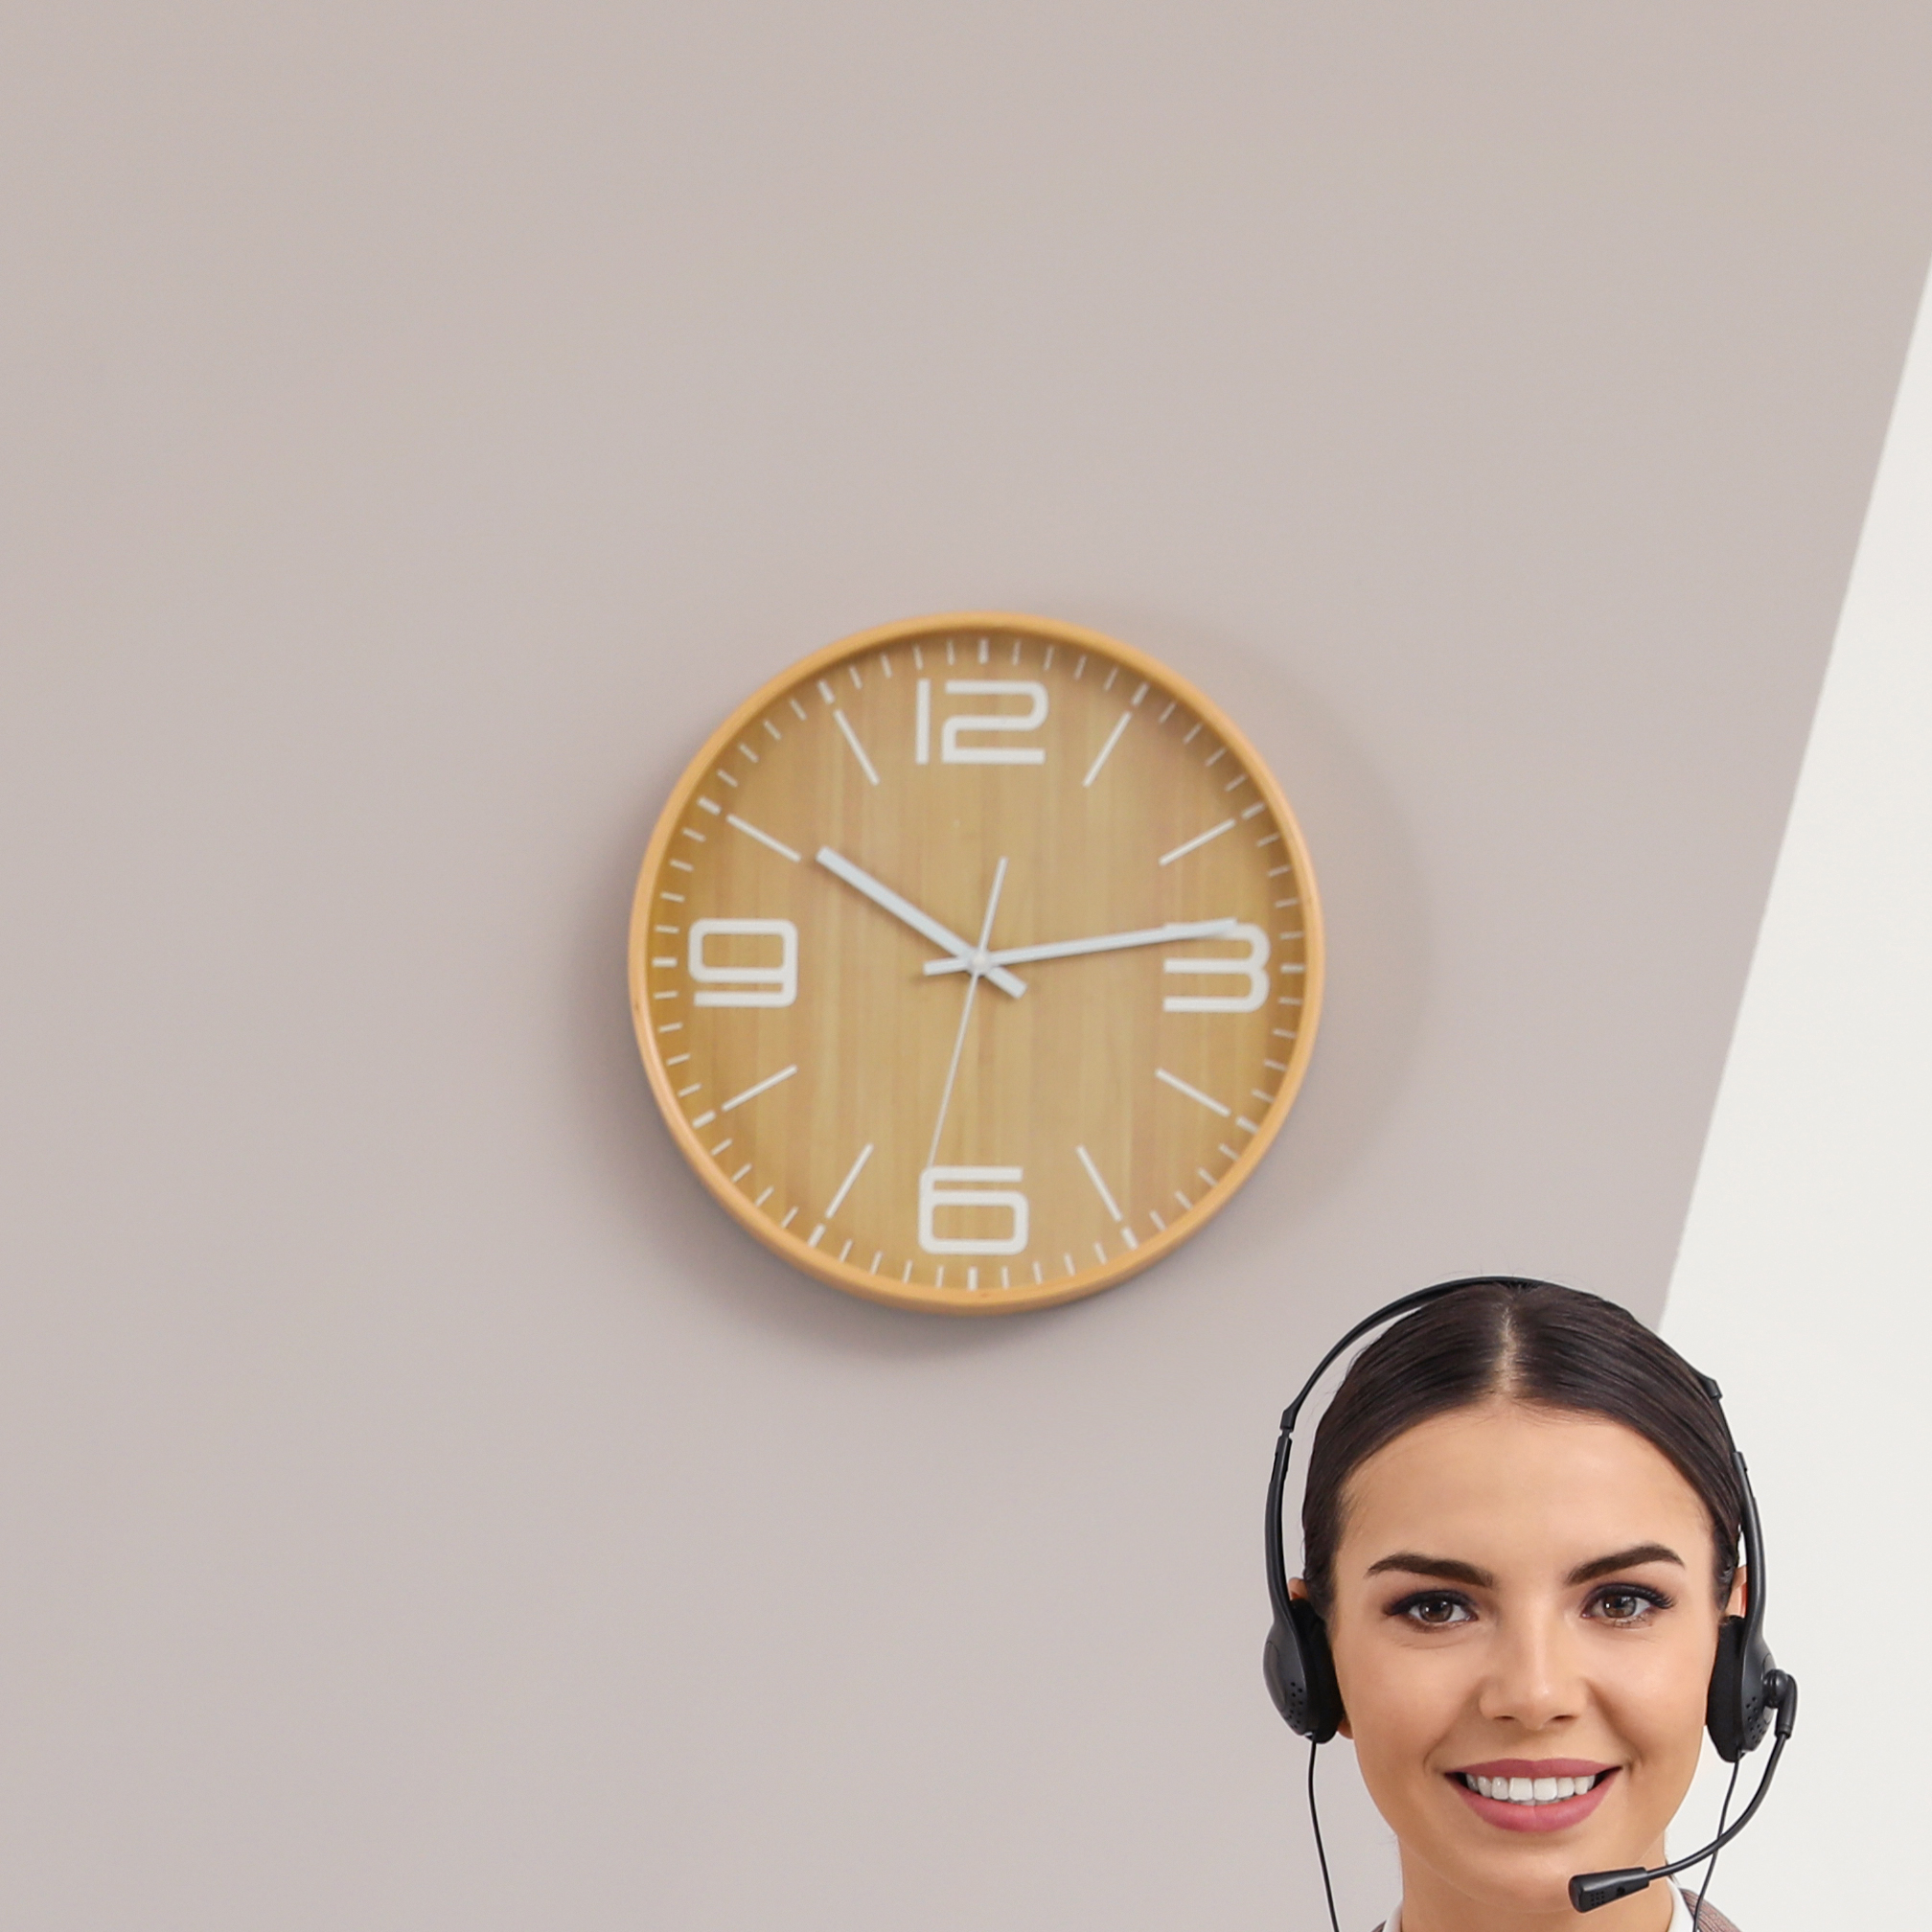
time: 10:13
